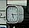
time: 5:14
